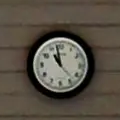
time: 10:58
